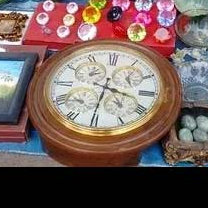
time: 3:31
